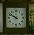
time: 9:50
